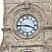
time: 3:45
